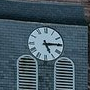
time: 5:14
